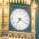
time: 7:18
